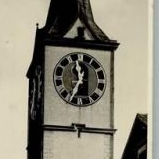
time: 11:34
